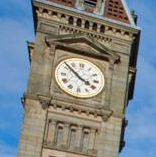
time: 3:52
